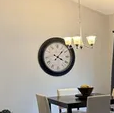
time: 4:07
